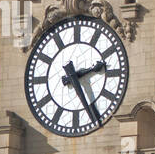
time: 2:25
